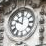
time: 10:00
